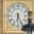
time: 6:25
